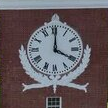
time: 4:00
